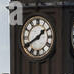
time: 1:40
